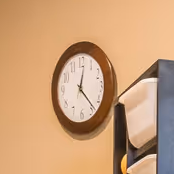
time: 12:22
